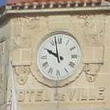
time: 9:57
